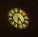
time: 4:32
